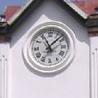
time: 11:07
